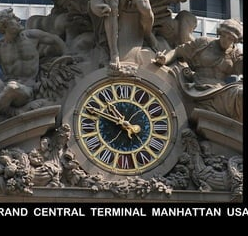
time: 10:48
